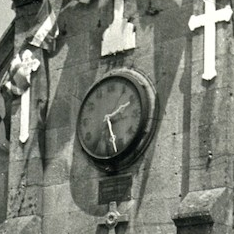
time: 1:26
